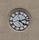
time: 4:12
